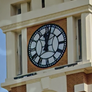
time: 12:02
